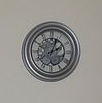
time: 12:39
